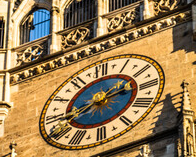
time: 2:40
